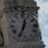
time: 12:34
